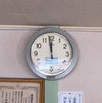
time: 11:58
